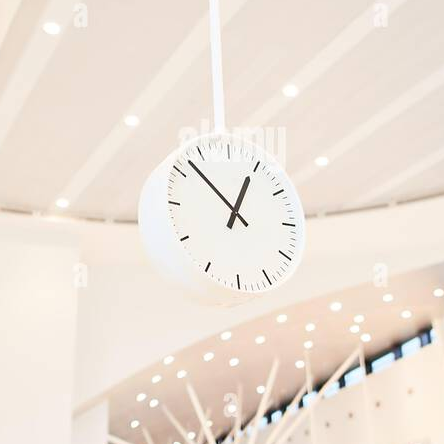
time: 12:52
